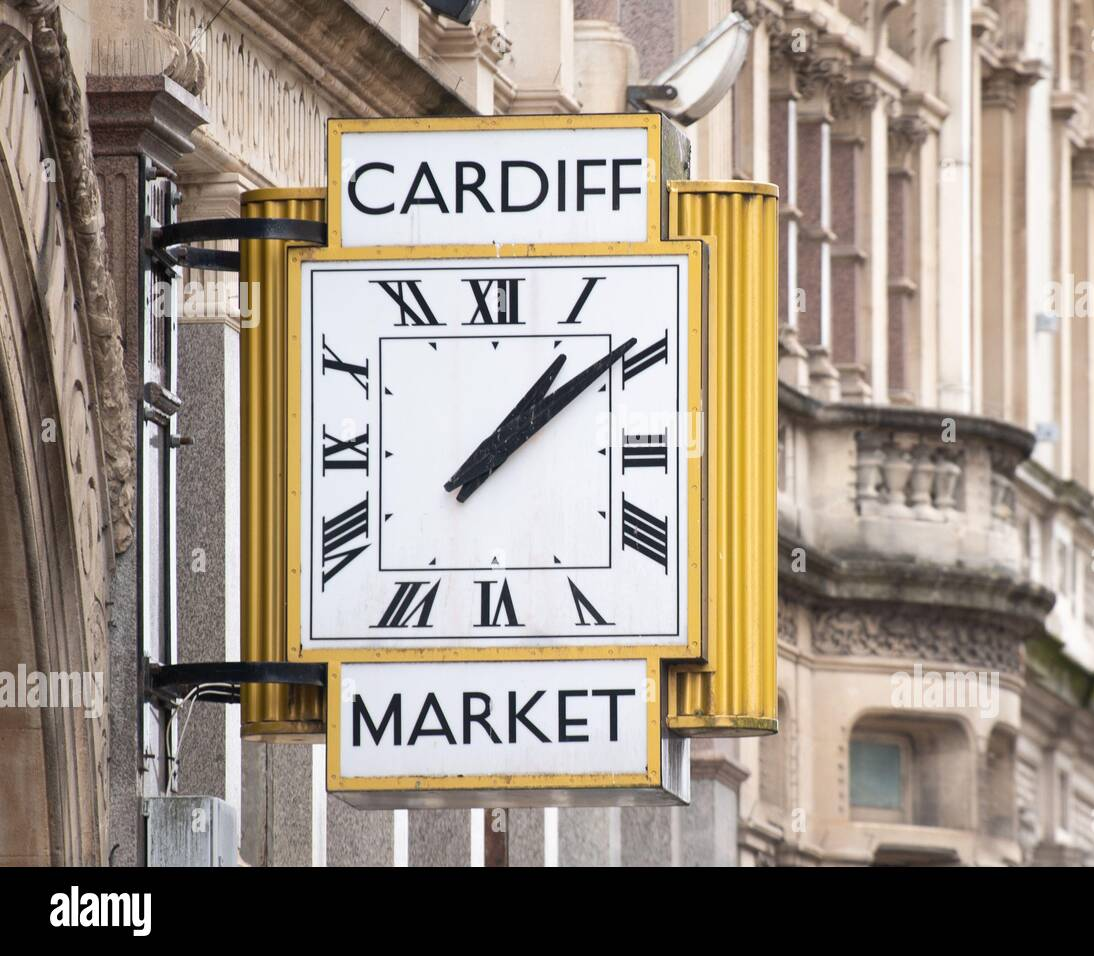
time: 1:08
